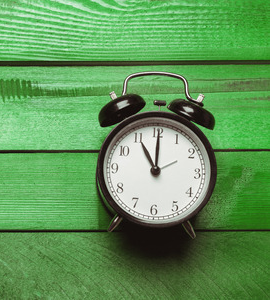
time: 11:00
